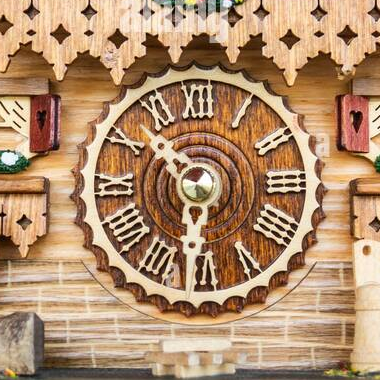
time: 10:30
